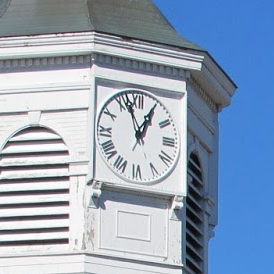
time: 12:57
